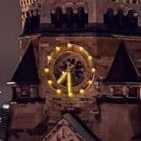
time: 7:30
